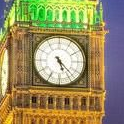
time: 5:22
